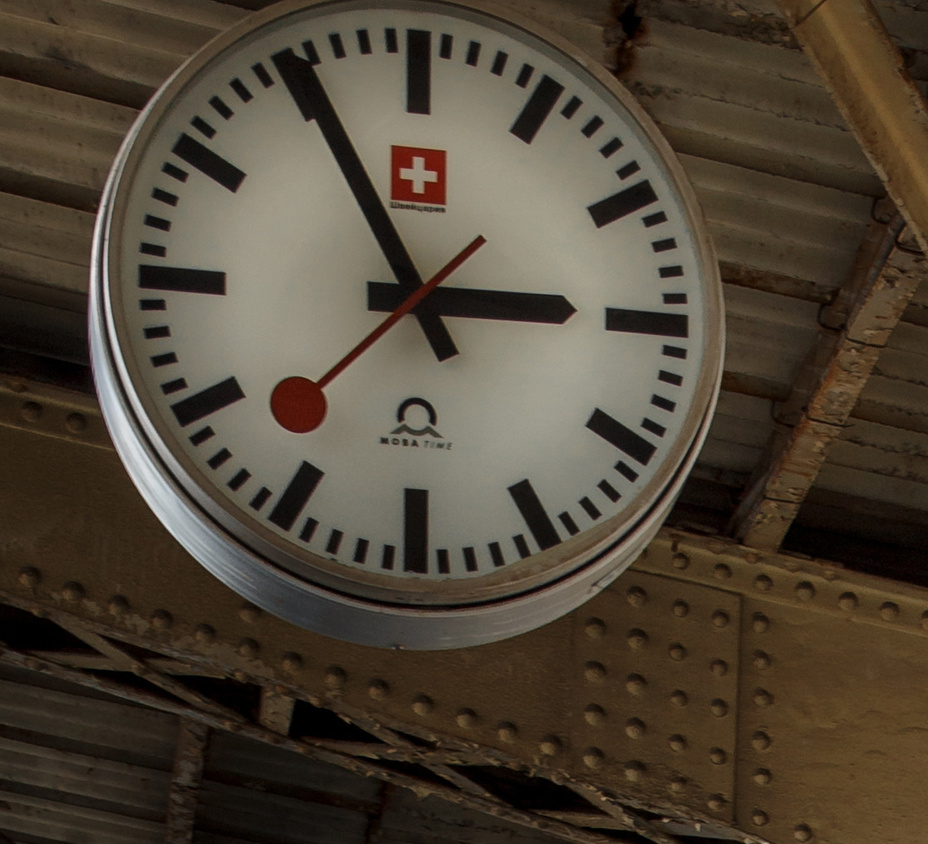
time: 2:55
